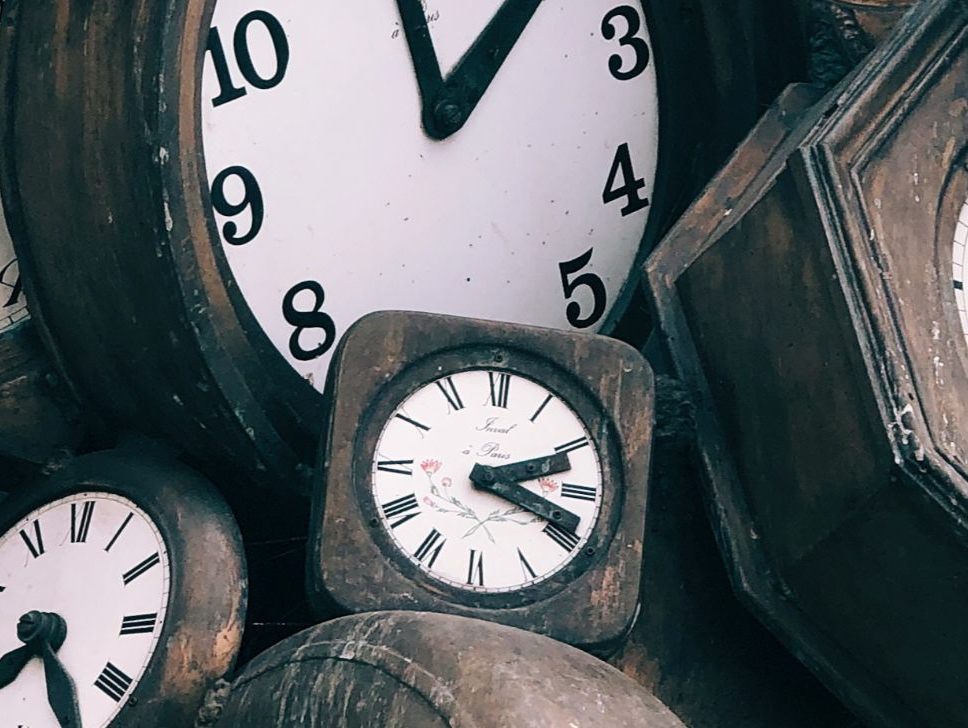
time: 2:18
